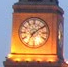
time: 7:09
